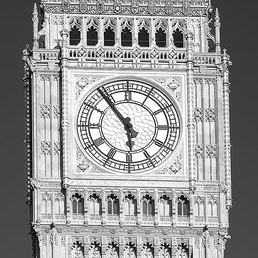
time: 5:53
